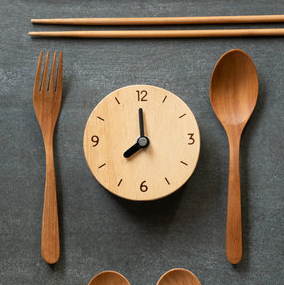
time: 7:59
